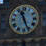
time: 11:26
